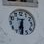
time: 6:29
